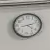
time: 4:12
